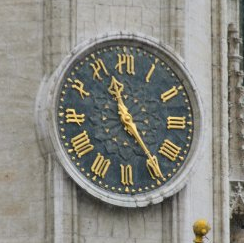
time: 11:24
